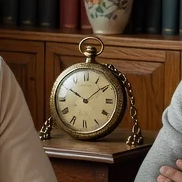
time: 10:08
